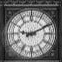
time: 9:10
